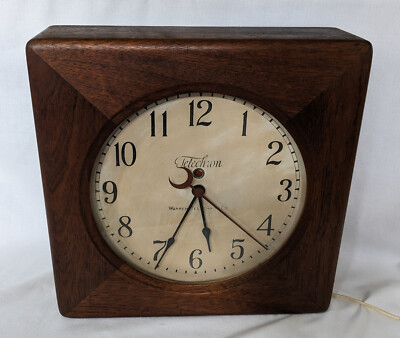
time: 5:34
